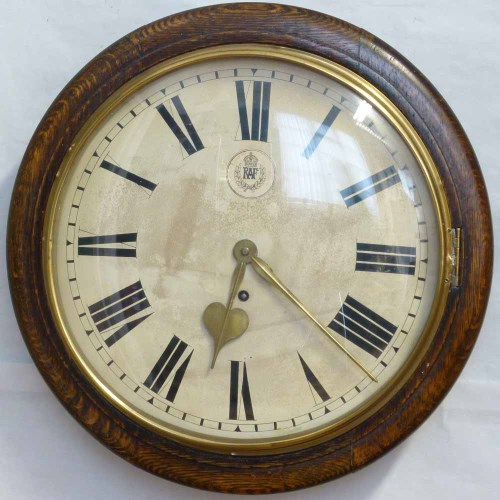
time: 6:21
